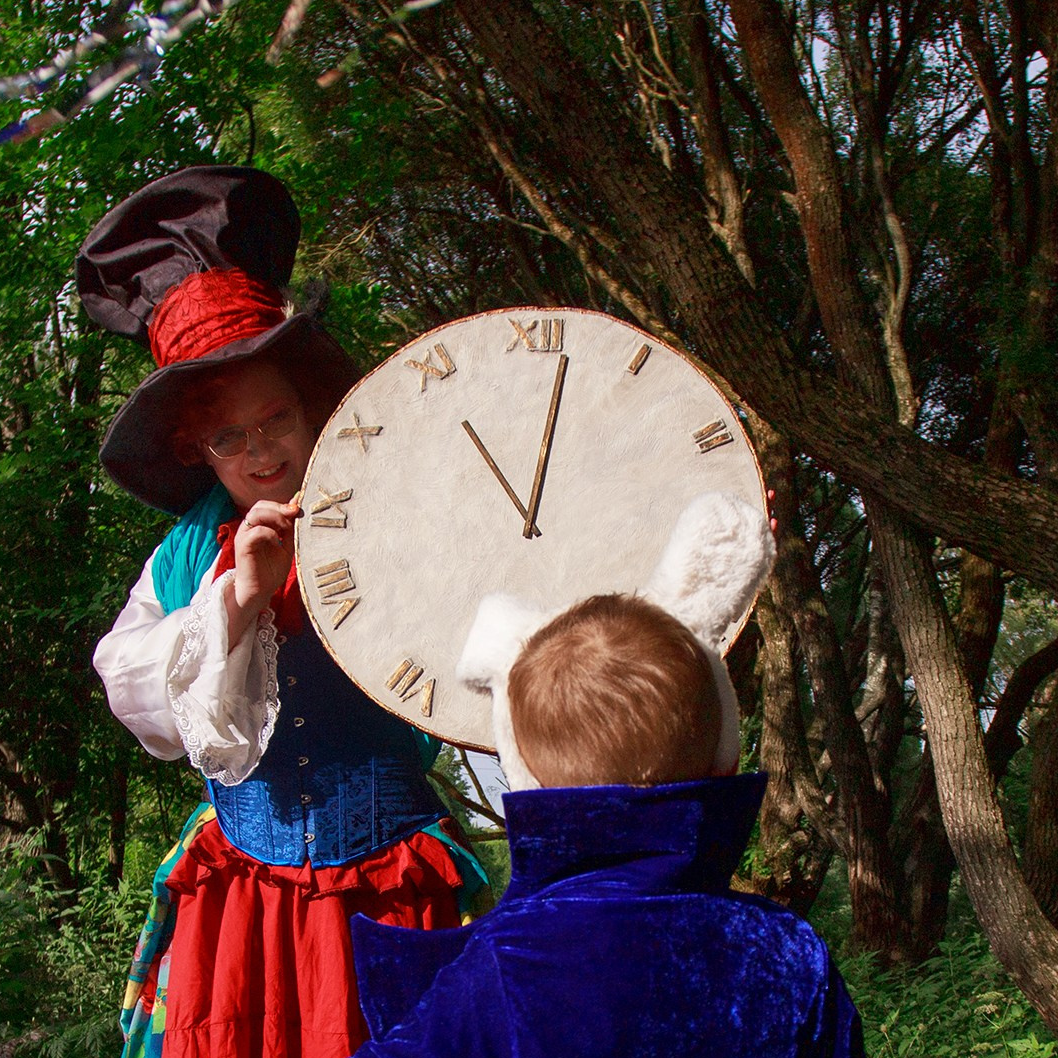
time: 11:01
